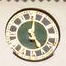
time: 5:00
